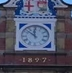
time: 11:52
